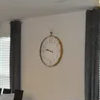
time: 9:47
